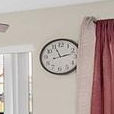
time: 11:12
